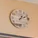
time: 1:11
